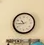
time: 10:44
